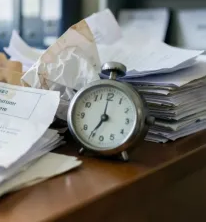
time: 7:00
